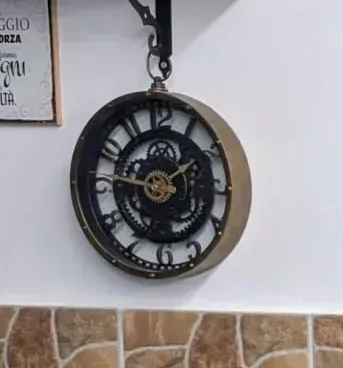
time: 1:46
